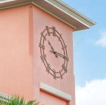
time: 10:14
